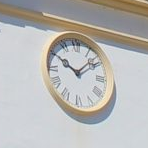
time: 10:07
